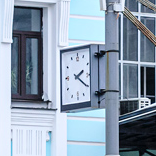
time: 2:20
